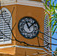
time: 11:07
